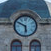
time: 5:49
